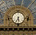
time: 5:35
